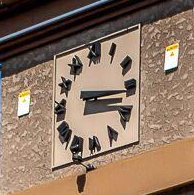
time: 3:16
